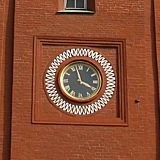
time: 3:57
